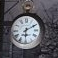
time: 6:10
